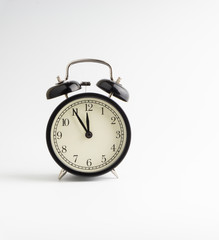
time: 11:54
